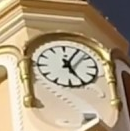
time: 5:05
